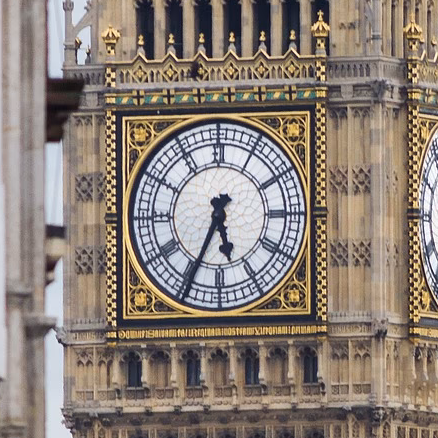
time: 5:34
